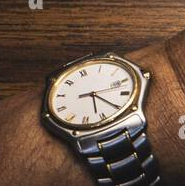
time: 5:20
